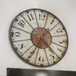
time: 4:34
